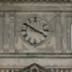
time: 3:50
